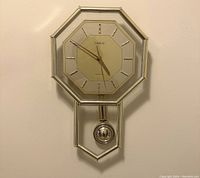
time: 4:50
